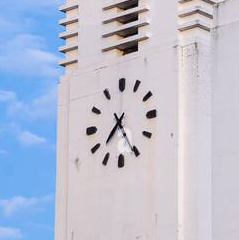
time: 7:25
